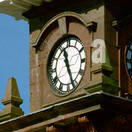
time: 11:26
